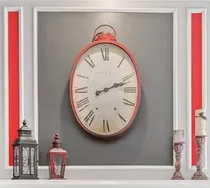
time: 2:12
